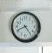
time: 8:24
